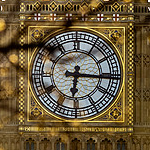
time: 6:15
